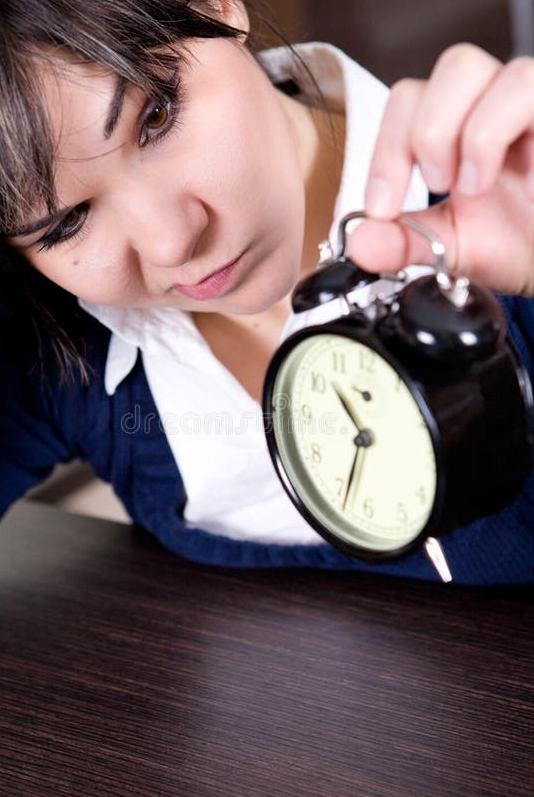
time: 10:33
